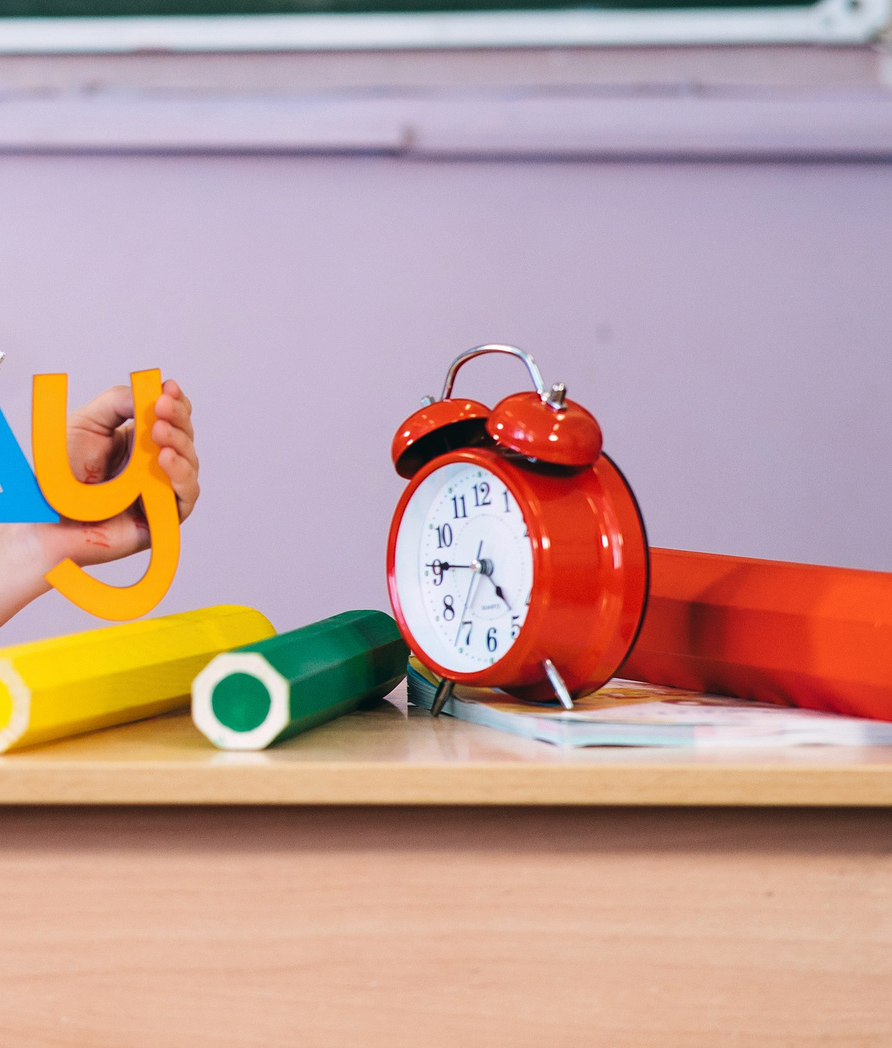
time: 4:45
